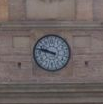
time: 9:47
